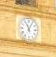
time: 11:04
